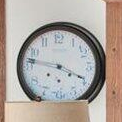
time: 3:46
